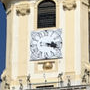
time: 3:18
